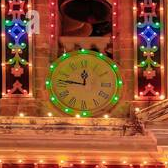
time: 11:46
